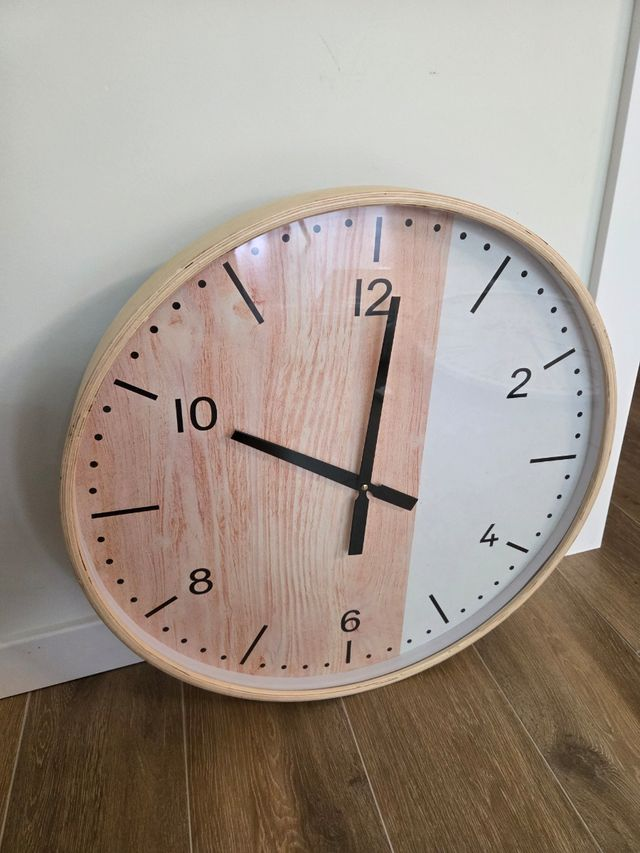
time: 10:00
